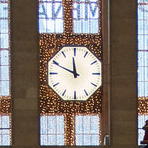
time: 11:49
